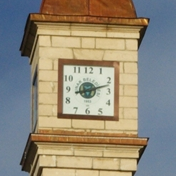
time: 8:12
